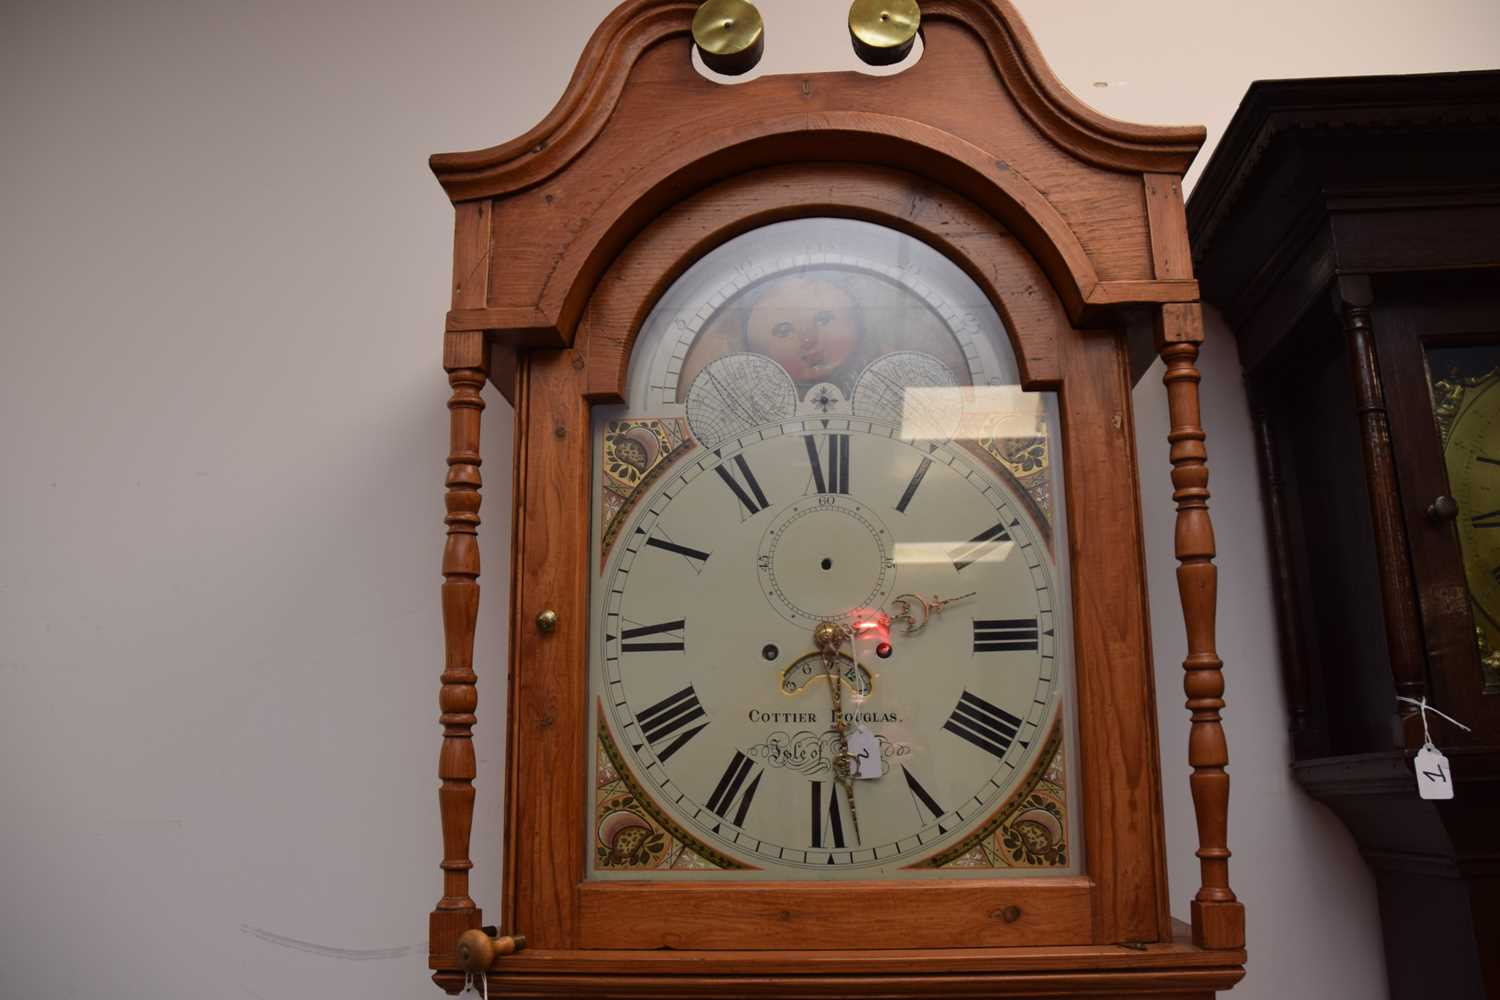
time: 2:29
